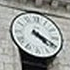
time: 4:19
